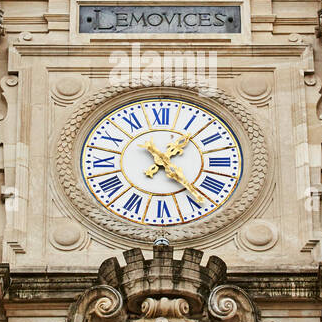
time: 1:23
